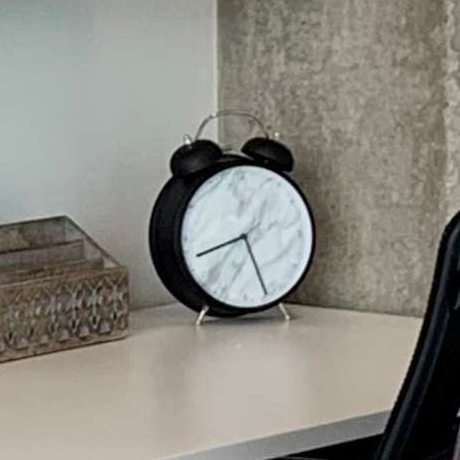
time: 8:26
